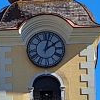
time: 2:02
